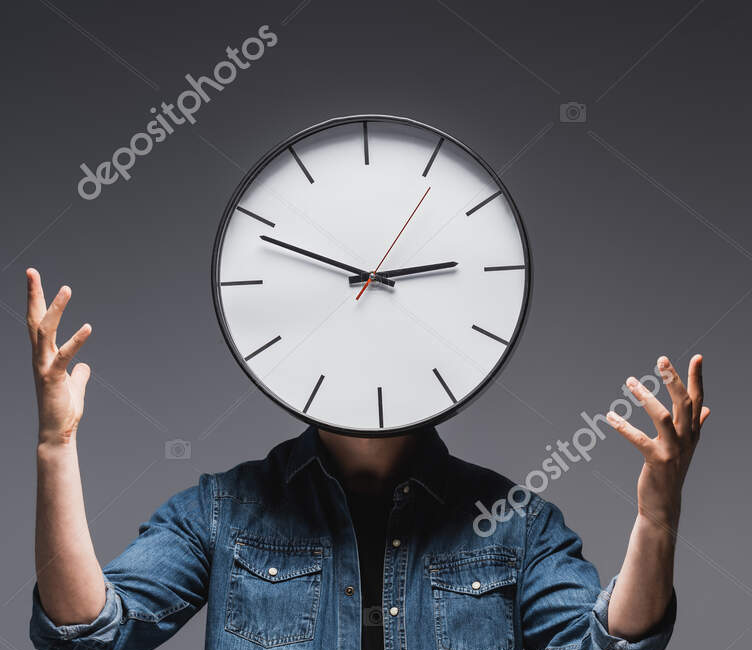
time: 2:48
